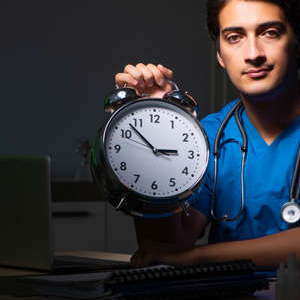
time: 2:52
